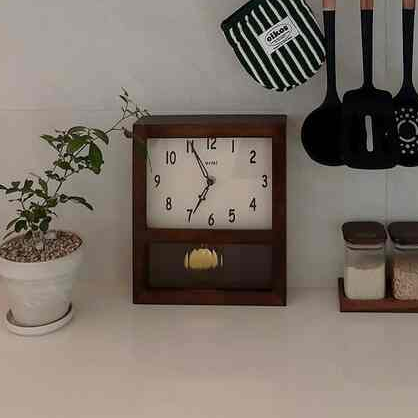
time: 6:56
